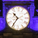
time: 10:36
